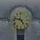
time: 4:46
